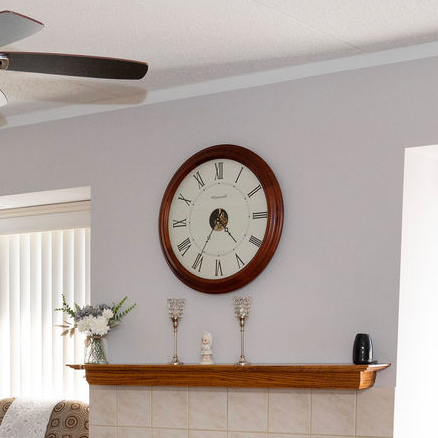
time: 4:35
